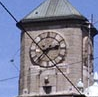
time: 2:36
